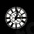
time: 3:02
